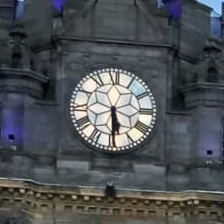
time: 5:29
